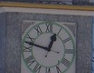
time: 12:47
